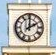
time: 2:00
